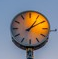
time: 1:09
